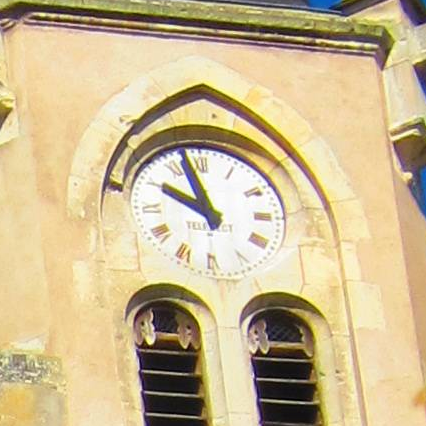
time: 9:56
